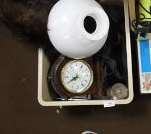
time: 7:40
